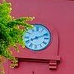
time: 8:11
